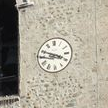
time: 3:48
